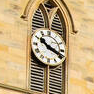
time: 10:18
